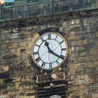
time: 11:21
